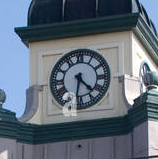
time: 4:31
